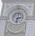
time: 2:32
